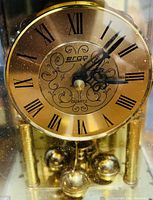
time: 4:07
